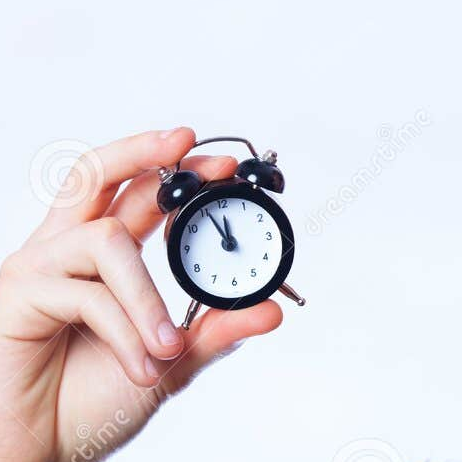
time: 11:55
